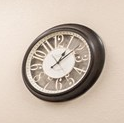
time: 1:09
